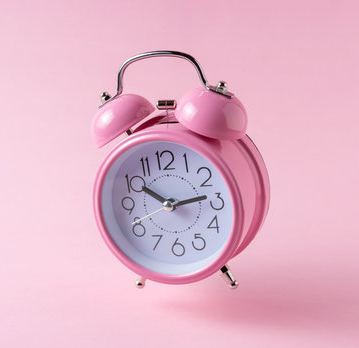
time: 10:13
